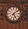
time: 5:08
